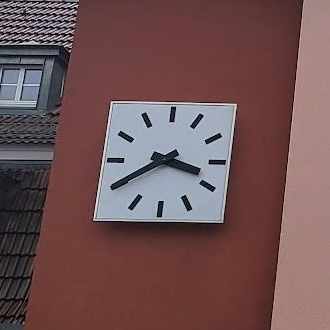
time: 3:39
